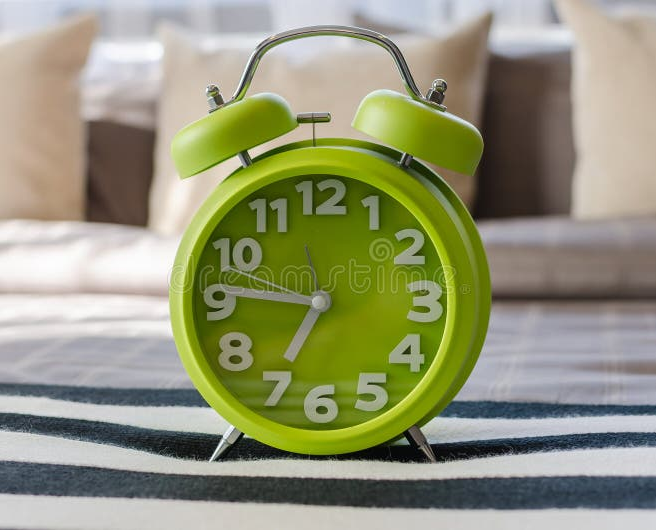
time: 6:46
